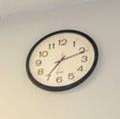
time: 7:11
